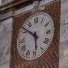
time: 5:51
